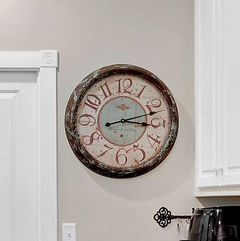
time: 3:12
